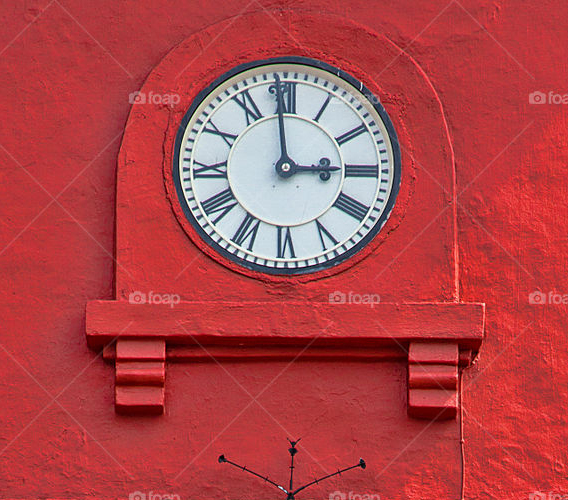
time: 2:59
